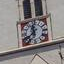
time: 11:37
